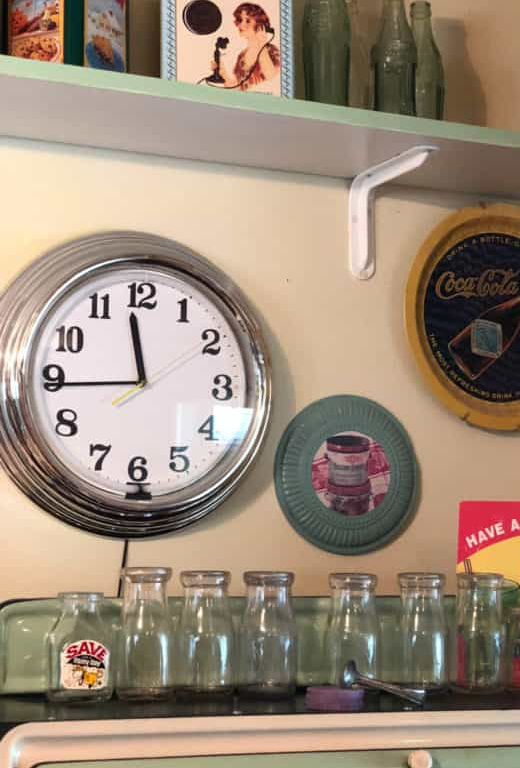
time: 11:44
